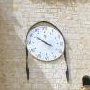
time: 3:50
